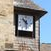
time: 10:28
